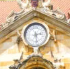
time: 2:27
